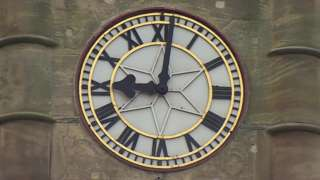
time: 9:01
